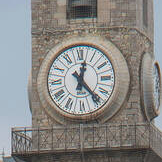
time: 12:23
